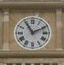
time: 11:10
